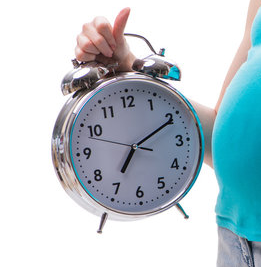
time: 7:10
